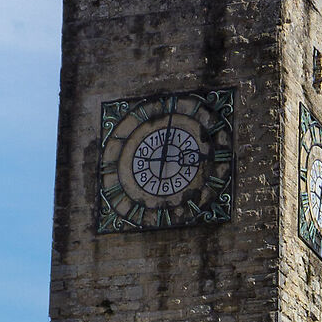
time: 9:01
